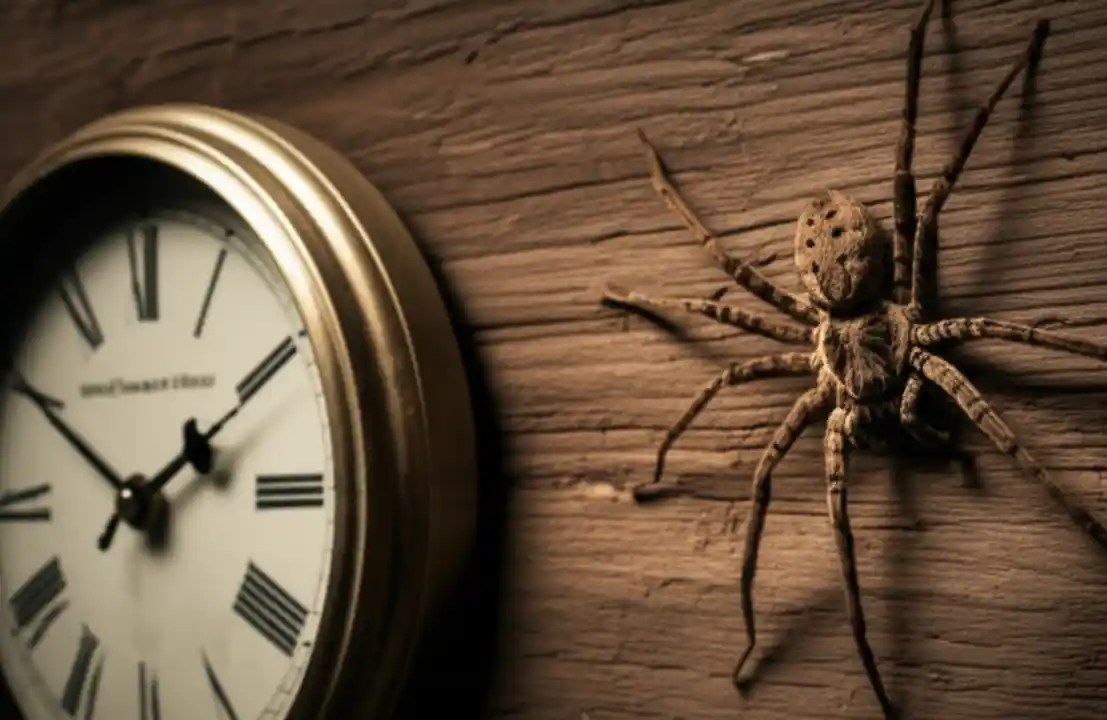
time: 1:50
